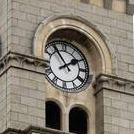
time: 1:54
